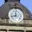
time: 11:42
